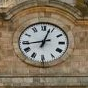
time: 12:43
